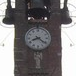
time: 8:21
